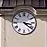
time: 3:21
